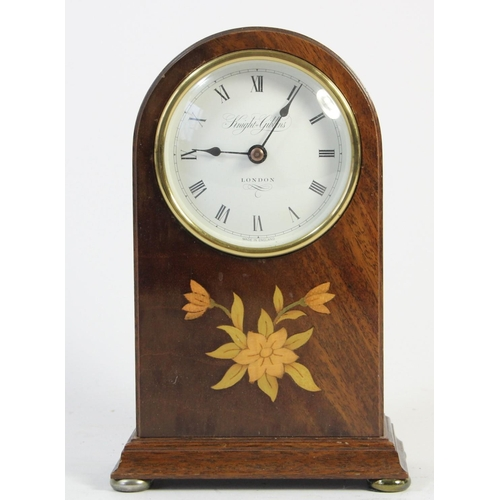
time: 9:05
